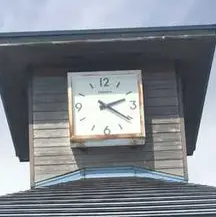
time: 2:20
